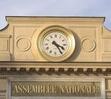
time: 4:24
